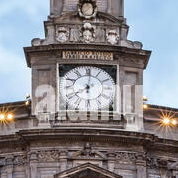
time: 8:01
